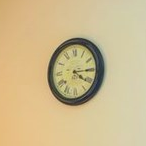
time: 4:14
